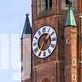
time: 1:35
